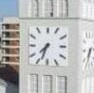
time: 7:33
